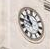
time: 10:45
